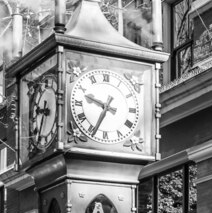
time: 9:34
